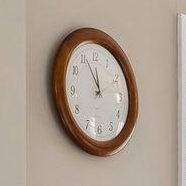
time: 11:55
